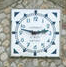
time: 2:47
